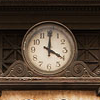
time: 4:00
